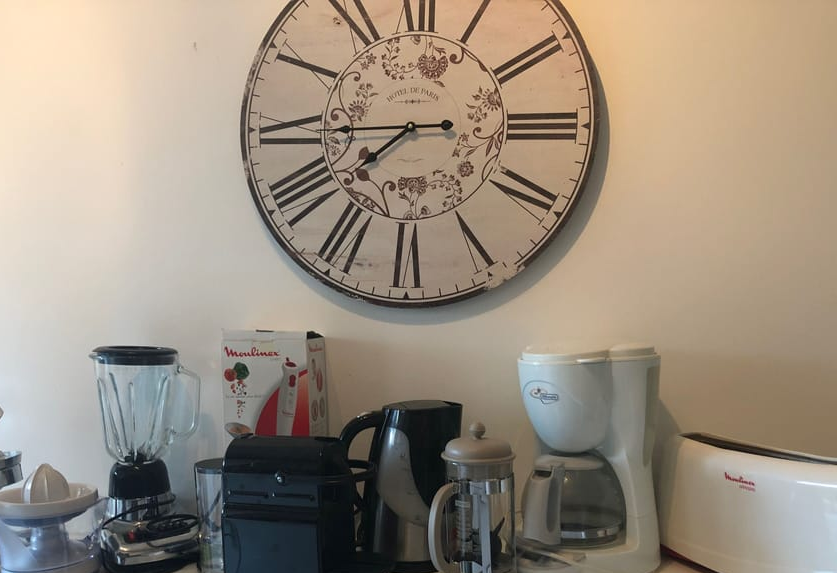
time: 7:44
